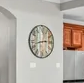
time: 2:42
